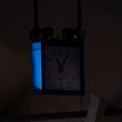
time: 11:06
